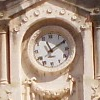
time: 11:09
